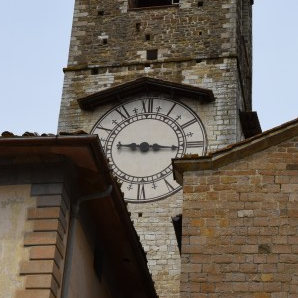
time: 9:15
